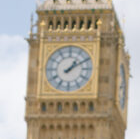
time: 1:09
